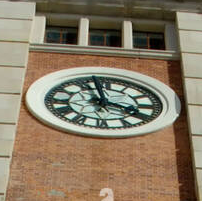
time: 3:58
